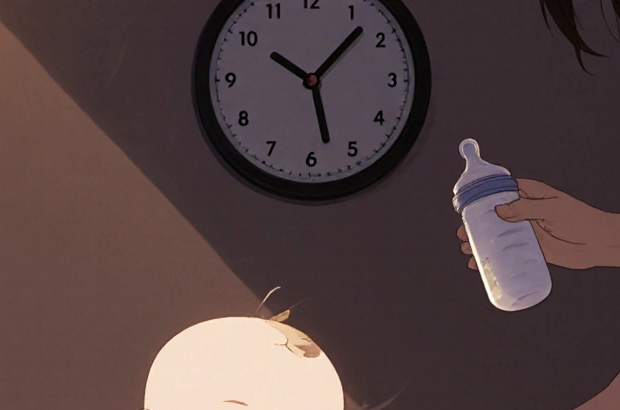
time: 10:07
